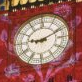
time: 9:10
